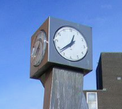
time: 12:38
